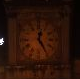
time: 12:24
